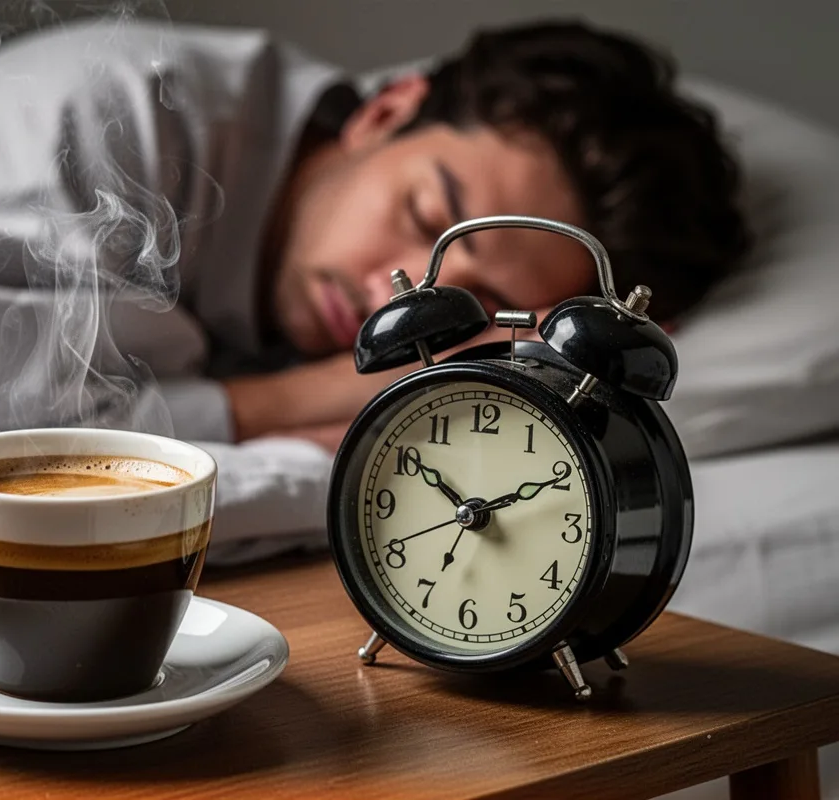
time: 1:50
